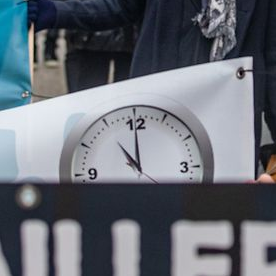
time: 11:00
